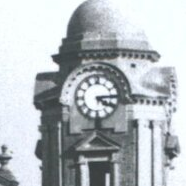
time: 4:14
